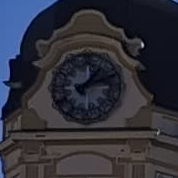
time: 1:11
